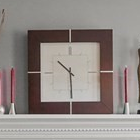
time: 10:29
